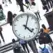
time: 4:01
